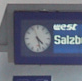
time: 4:27
